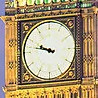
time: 9:47
